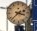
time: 3:37
